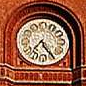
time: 7:24
